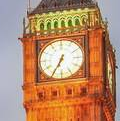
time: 6:34
